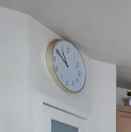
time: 10:50
